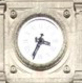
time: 3:34
